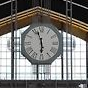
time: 5:57
